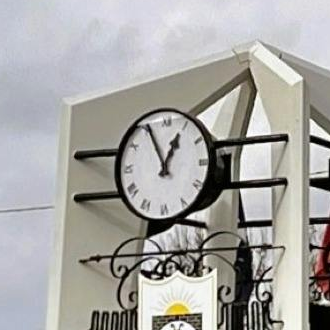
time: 12:55
